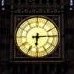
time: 6:14
